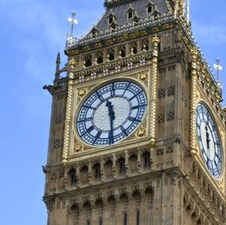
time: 11:29
